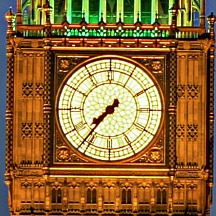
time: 7:36
